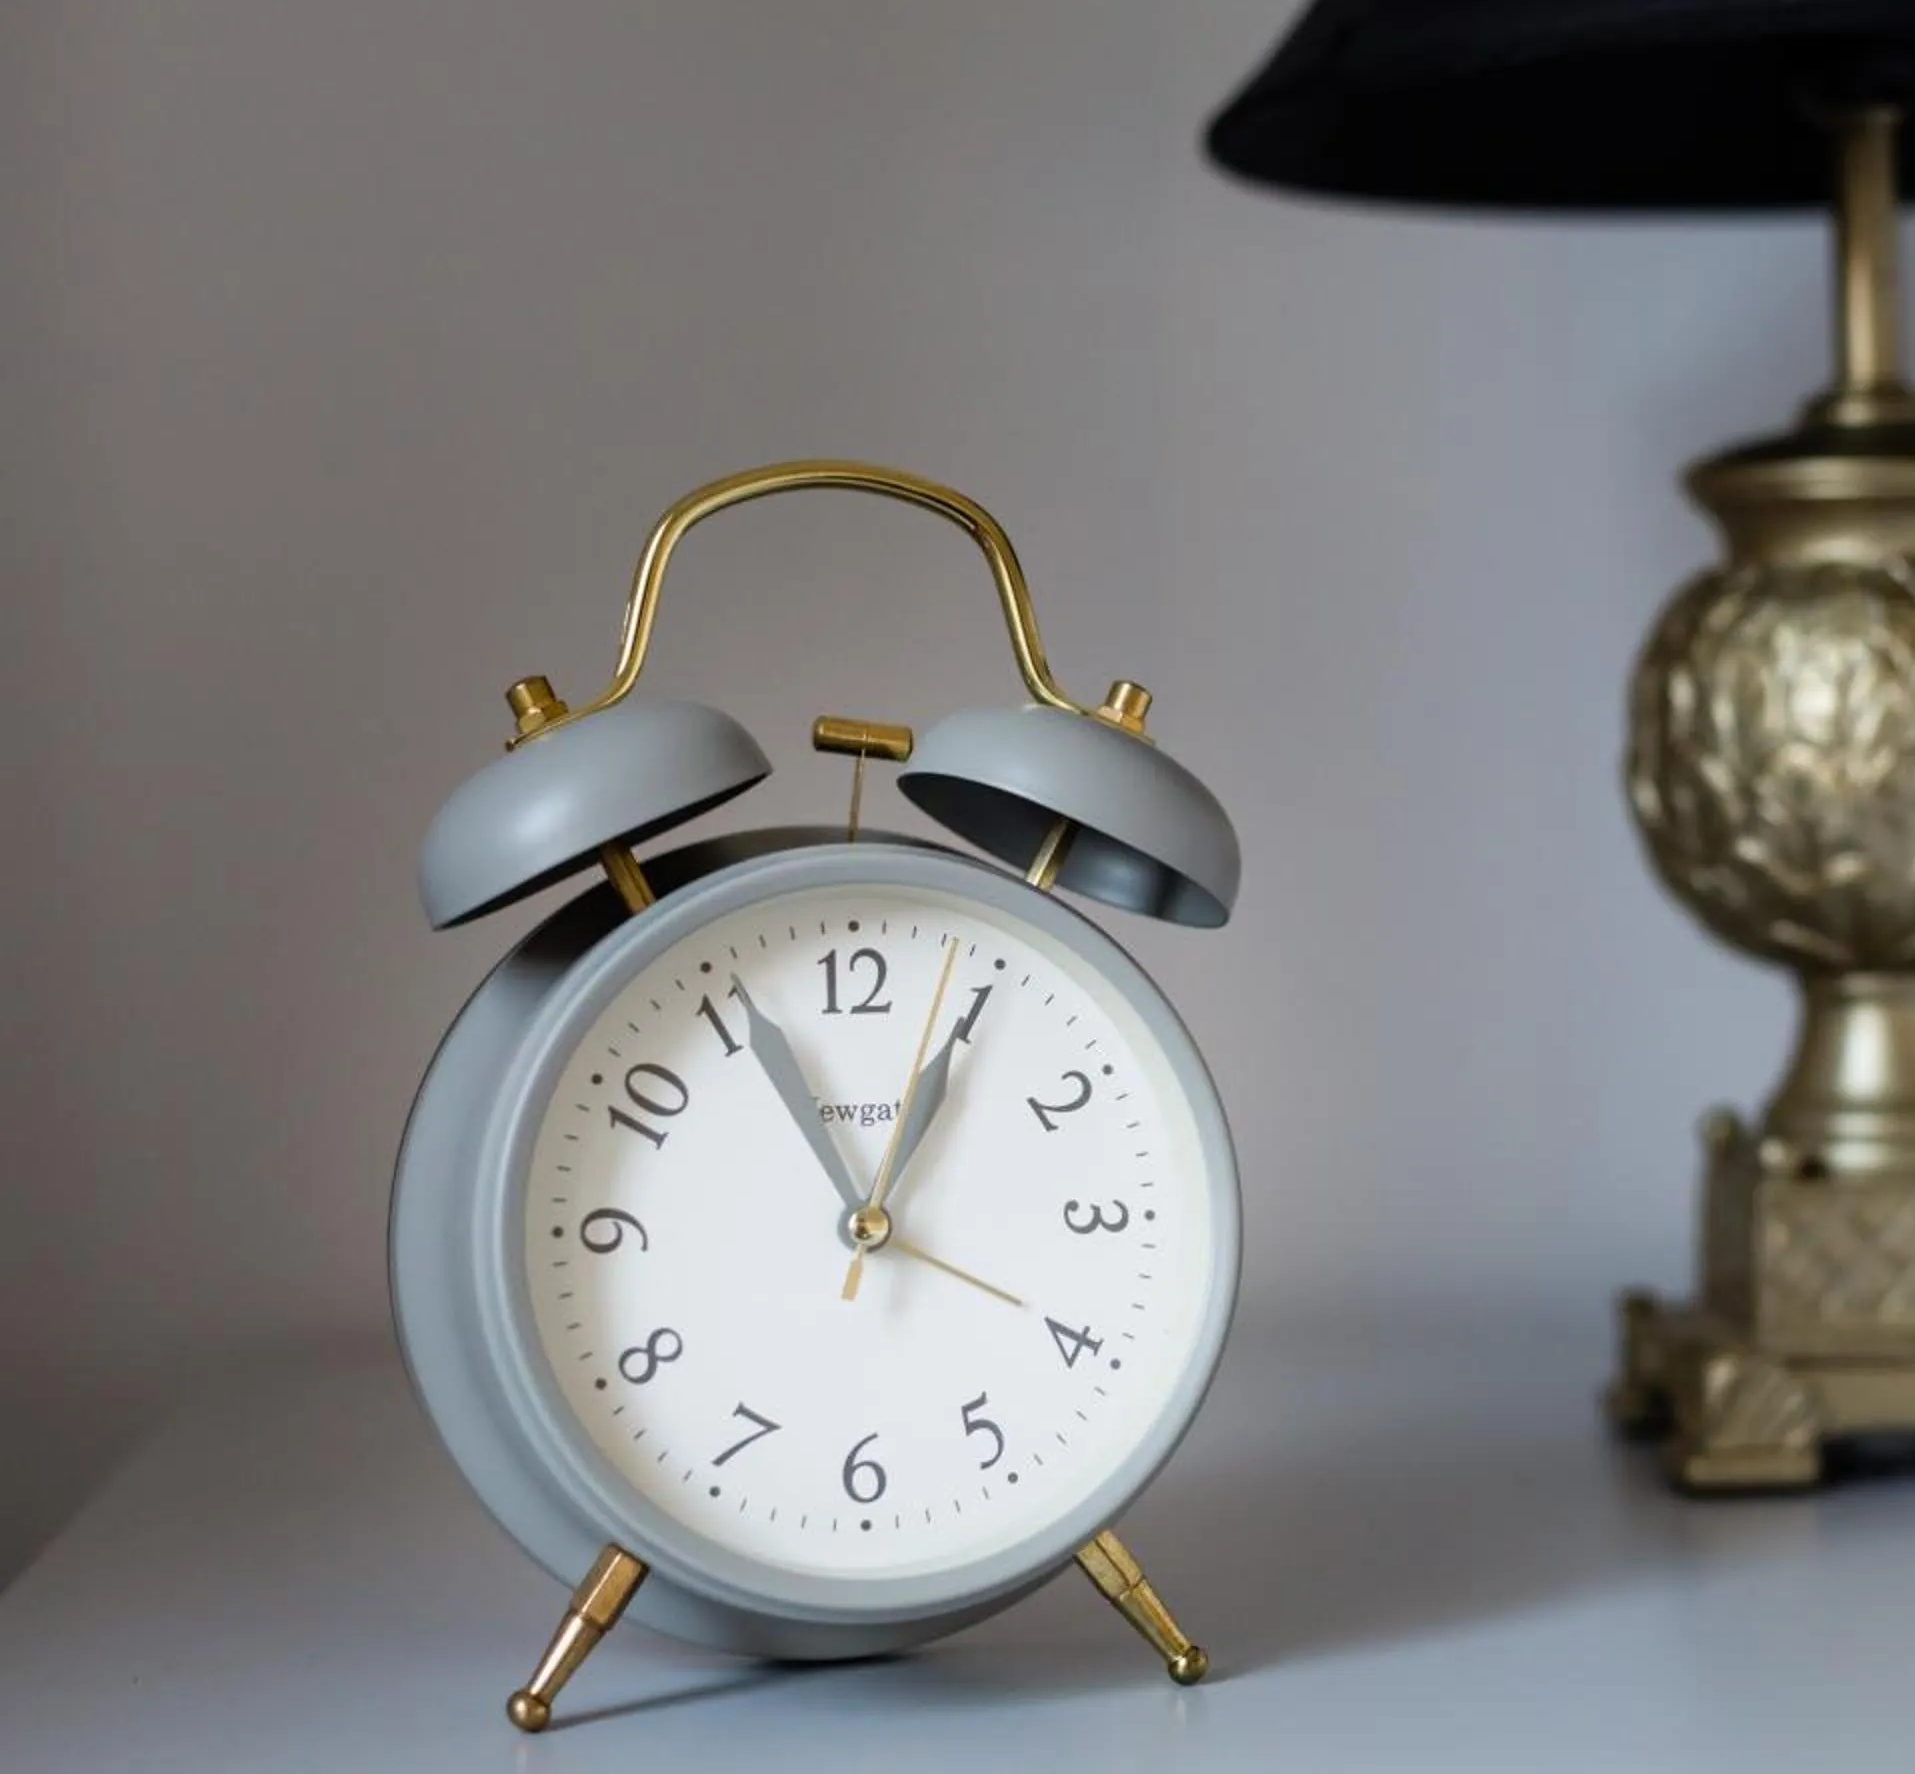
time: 12:55
